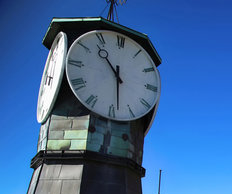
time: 10:28
